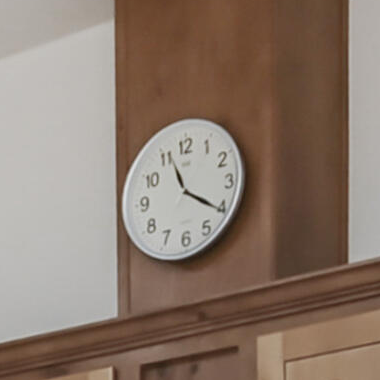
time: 11:20
